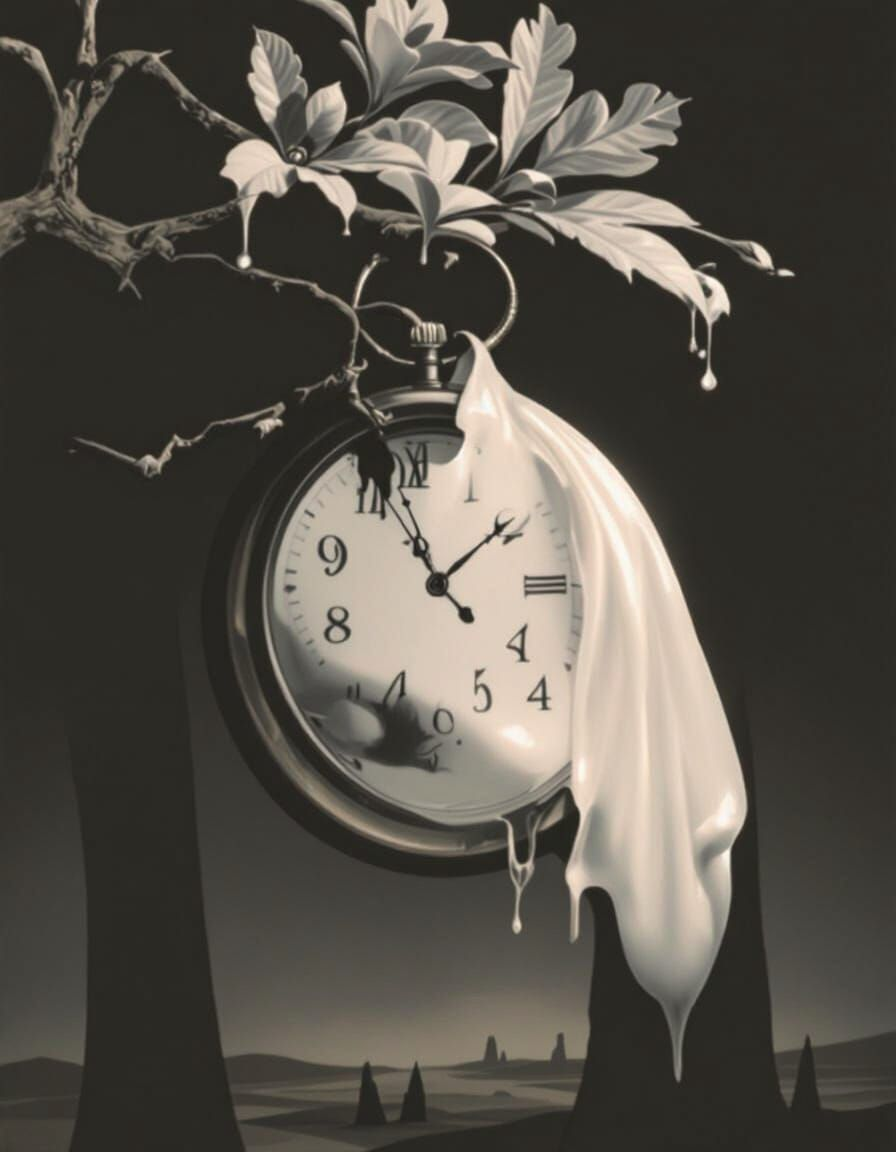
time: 1:56
